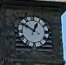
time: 12:50
